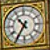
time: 10:35
